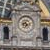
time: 7:12
